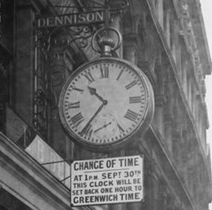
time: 10:36
